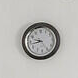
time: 9:43
